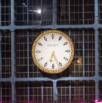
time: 6:26
